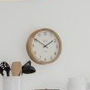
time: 1:50
